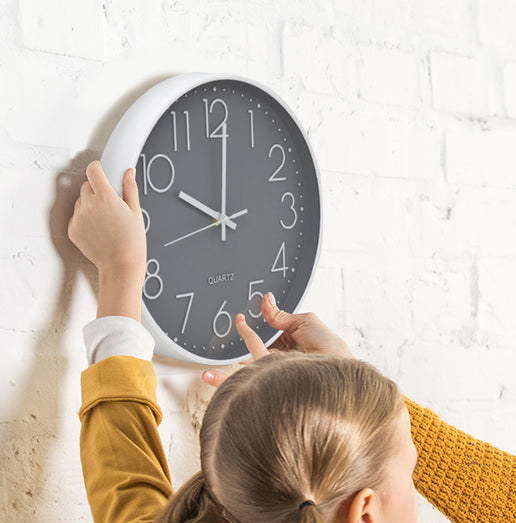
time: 10:00
